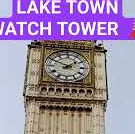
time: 1:49
